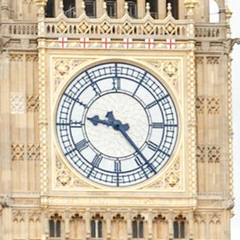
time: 9:23
